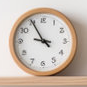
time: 9:55
